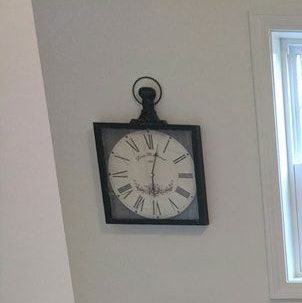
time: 6:02
